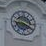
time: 8:19
